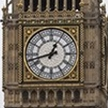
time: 12:42
